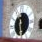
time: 12:28
